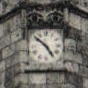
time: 4:50
